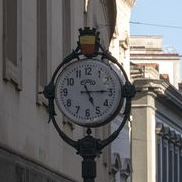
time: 5:14
